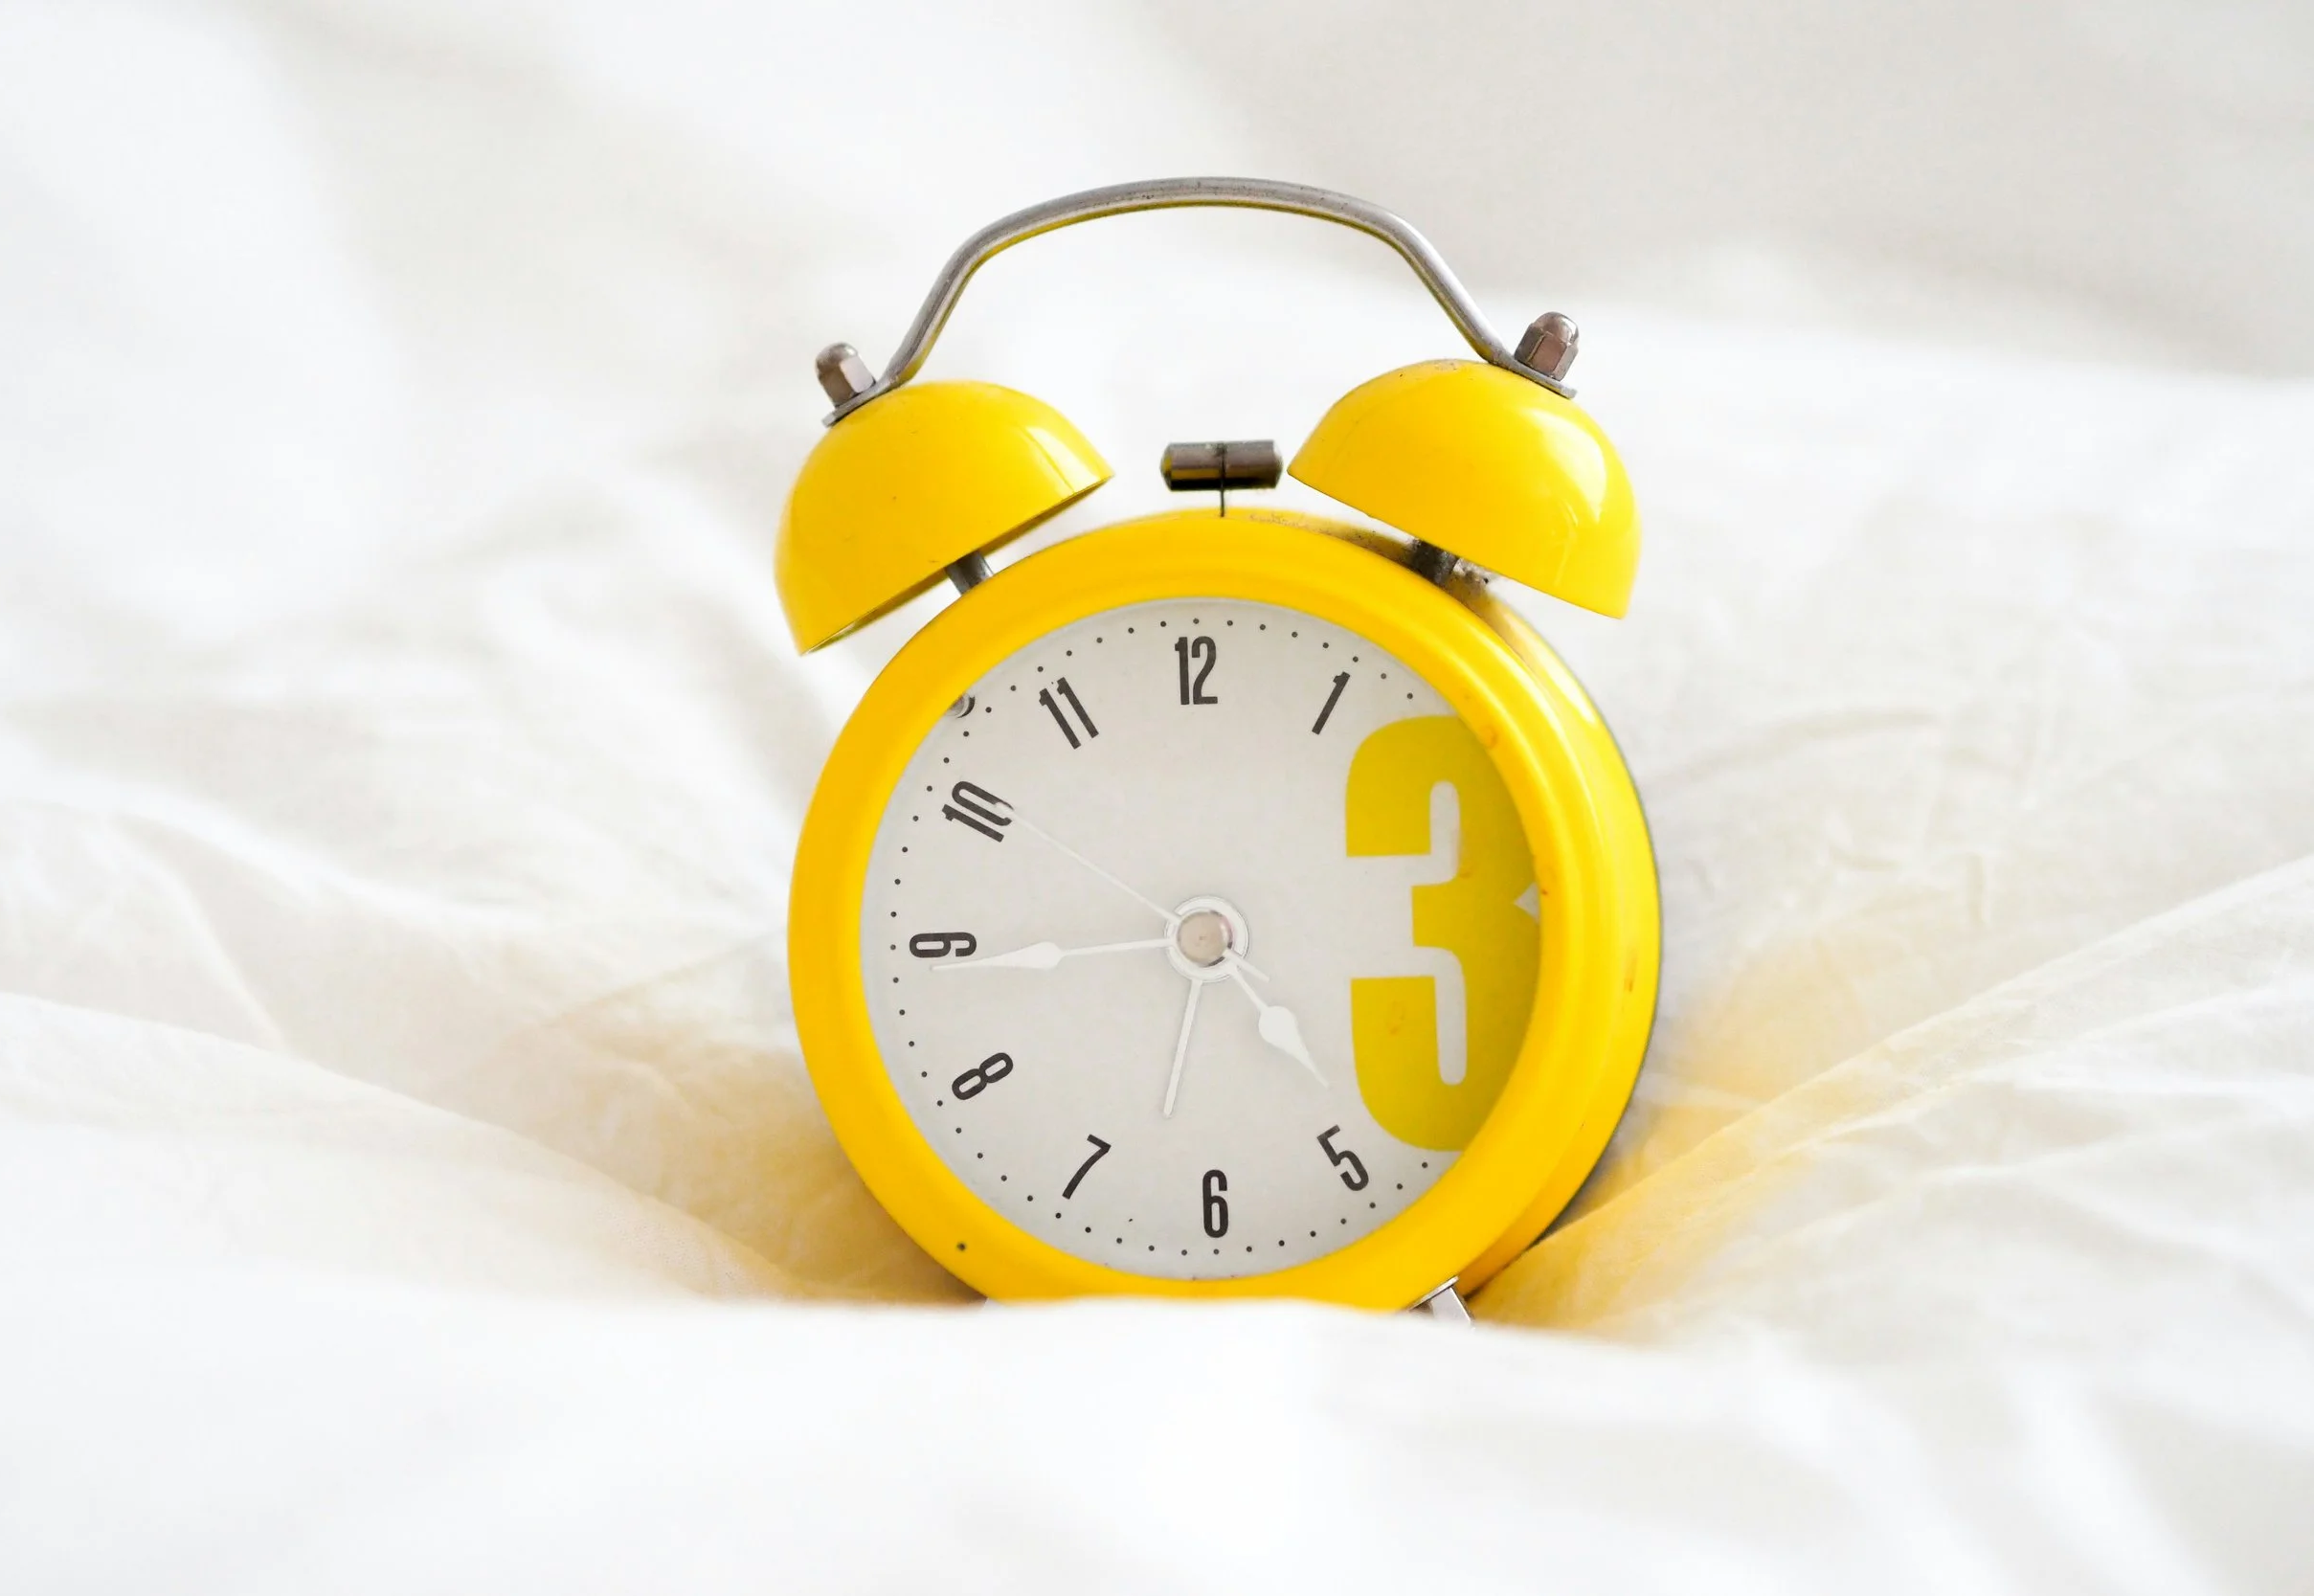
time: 4:44
